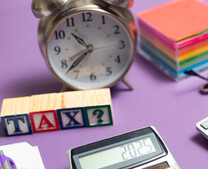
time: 10:37
